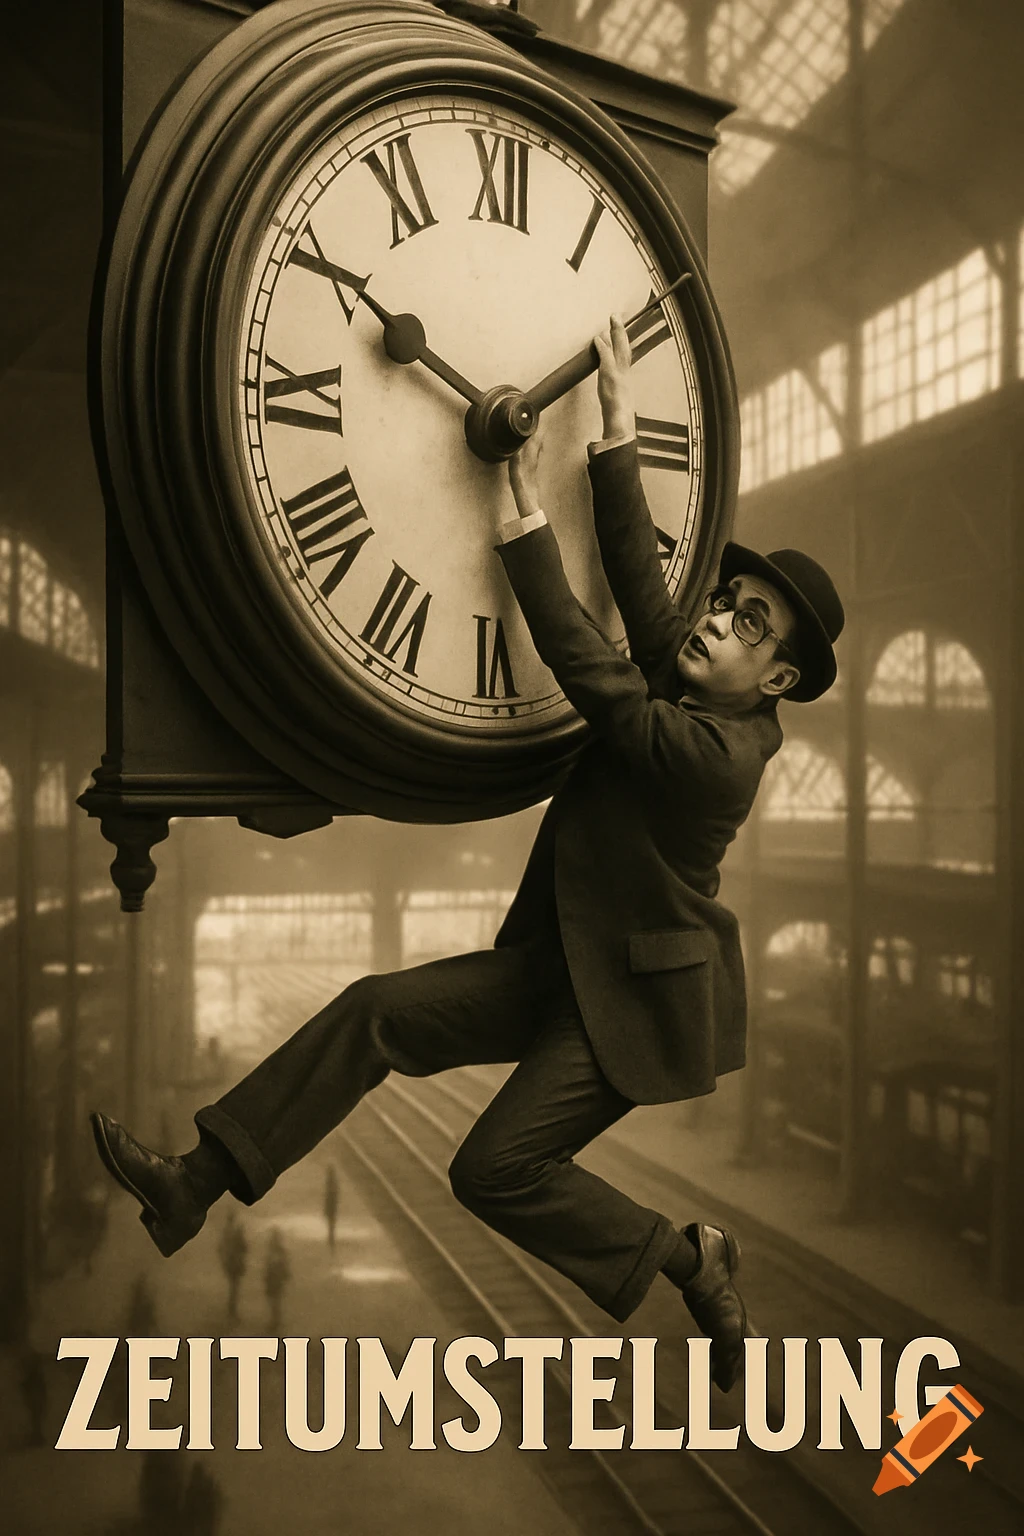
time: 1:50
